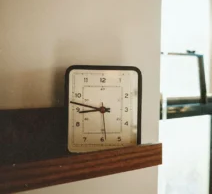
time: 8:47
